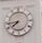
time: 7:43
